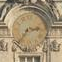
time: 2:36
